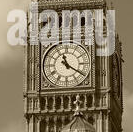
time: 11:20
